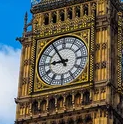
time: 8:54
